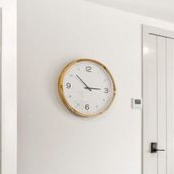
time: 2:52
